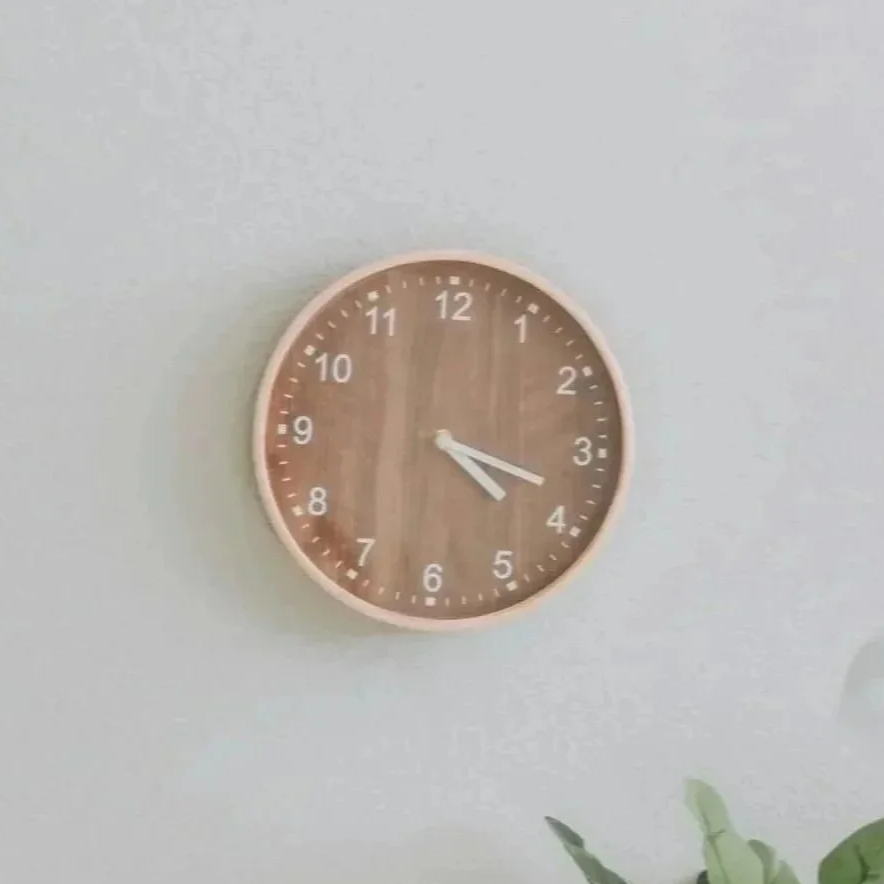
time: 4:18
